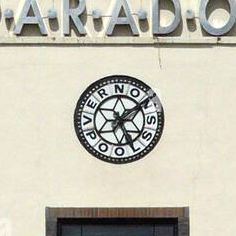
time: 5:09
